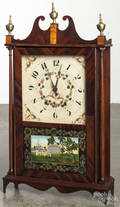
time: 11:02
